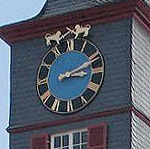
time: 3:11
